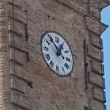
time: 12:53
